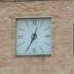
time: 12:34
